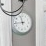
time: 11:43
